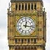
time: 12:16
